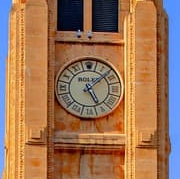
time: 5:08
